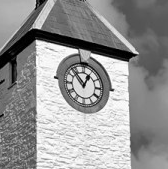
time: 12:53
